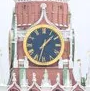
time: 1:32
